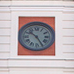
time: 10:24
